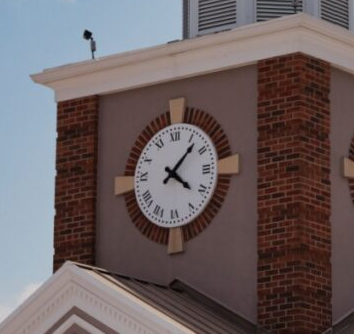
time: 4:07
